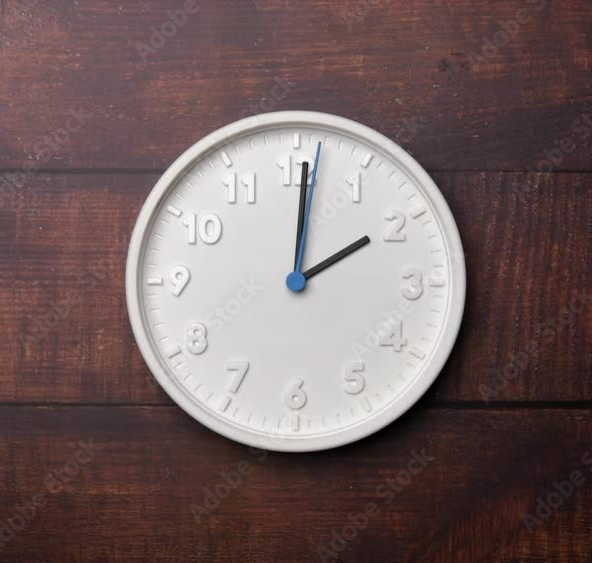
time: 2:00
